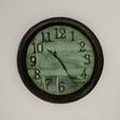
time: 10:24
